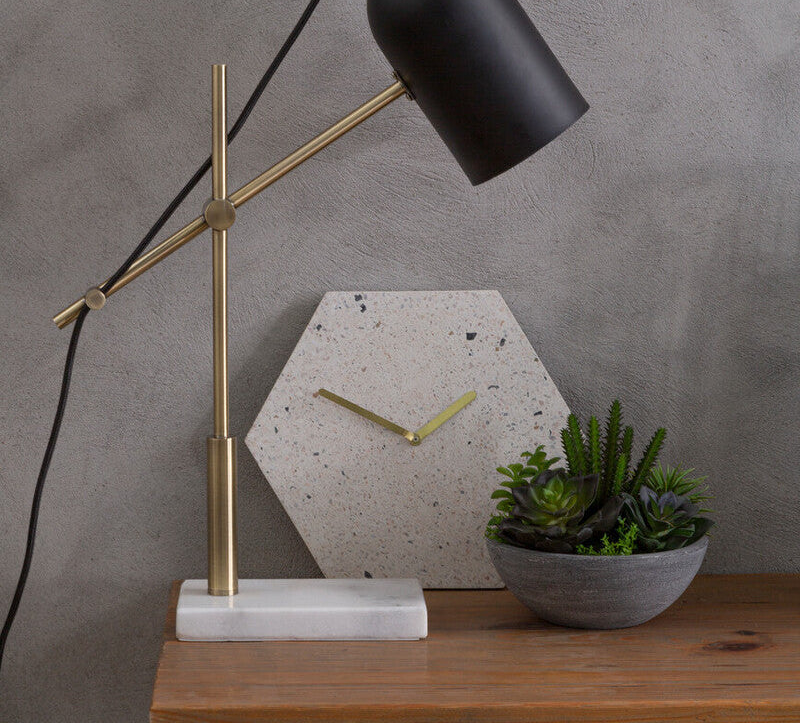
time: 1:47
